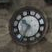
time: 10:34
